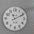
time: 11:10
